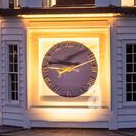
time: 9:12
